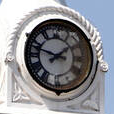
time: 1:47
